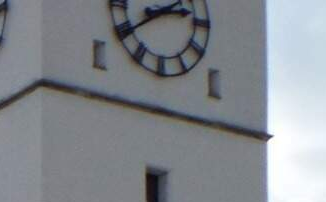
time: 2:39
